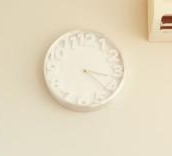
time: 3:21
